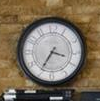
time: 3:35
